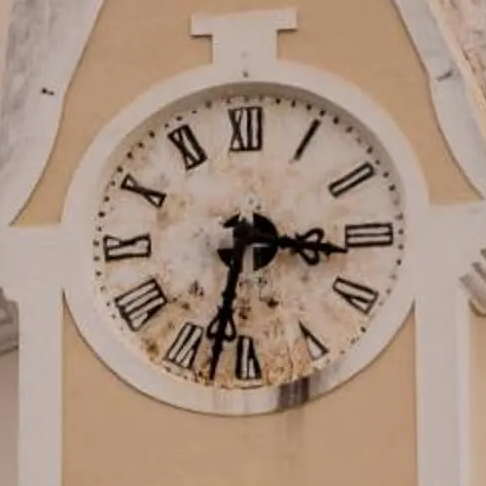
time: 3:32
